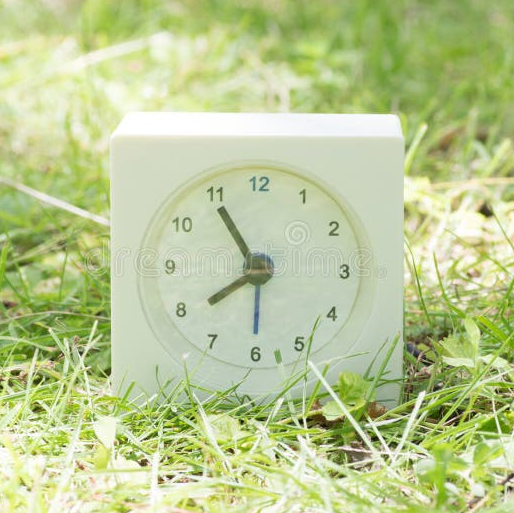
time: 7:54
